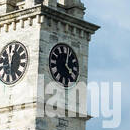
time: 4:02
